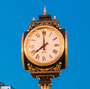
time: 7:59
